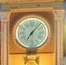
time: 7:07
